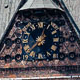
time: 12:37
